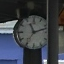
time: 11:12
